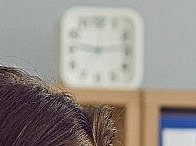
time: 9:13
